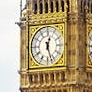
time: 12:26
